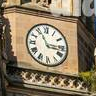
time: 11:16
